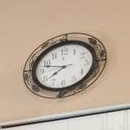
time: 7:47
